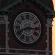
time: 8:15
